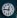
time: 12:46
